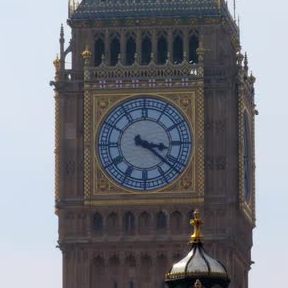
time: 3:21
